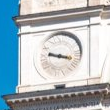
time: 9:17
